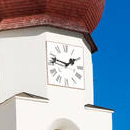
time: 1:47
